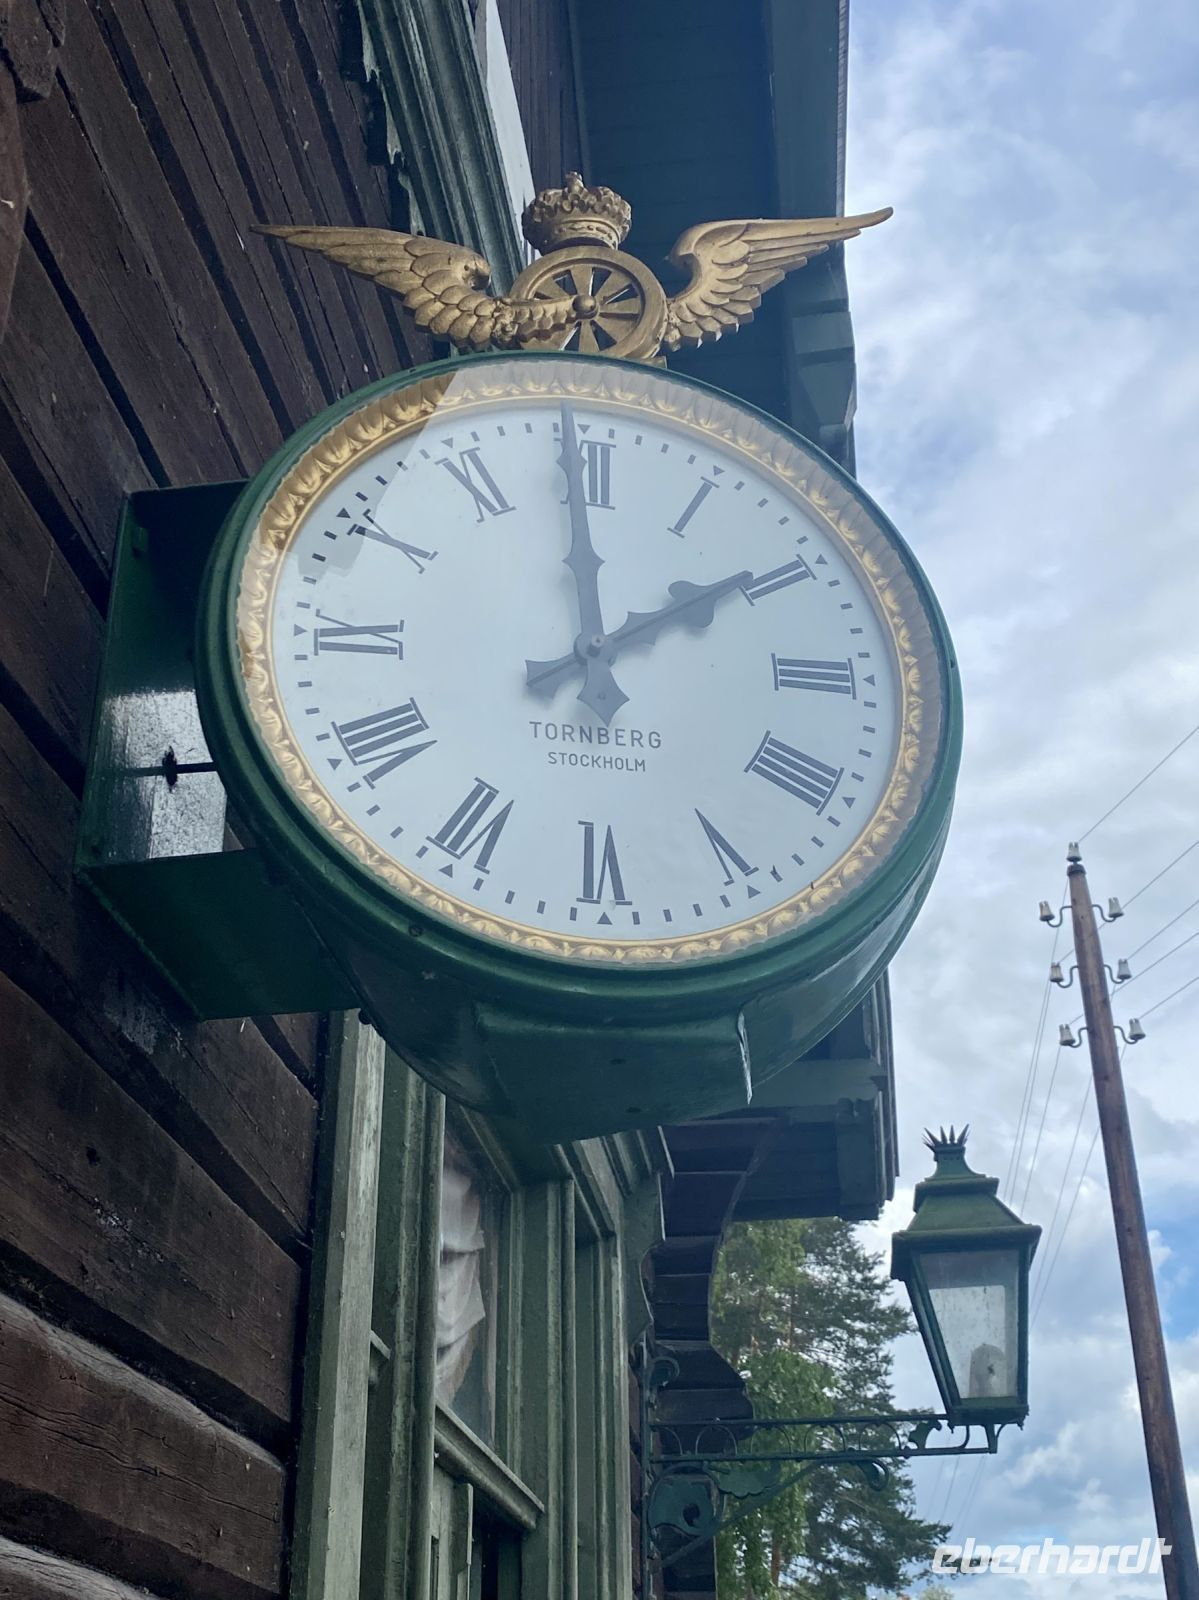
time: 1:59
